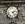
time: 2:23
